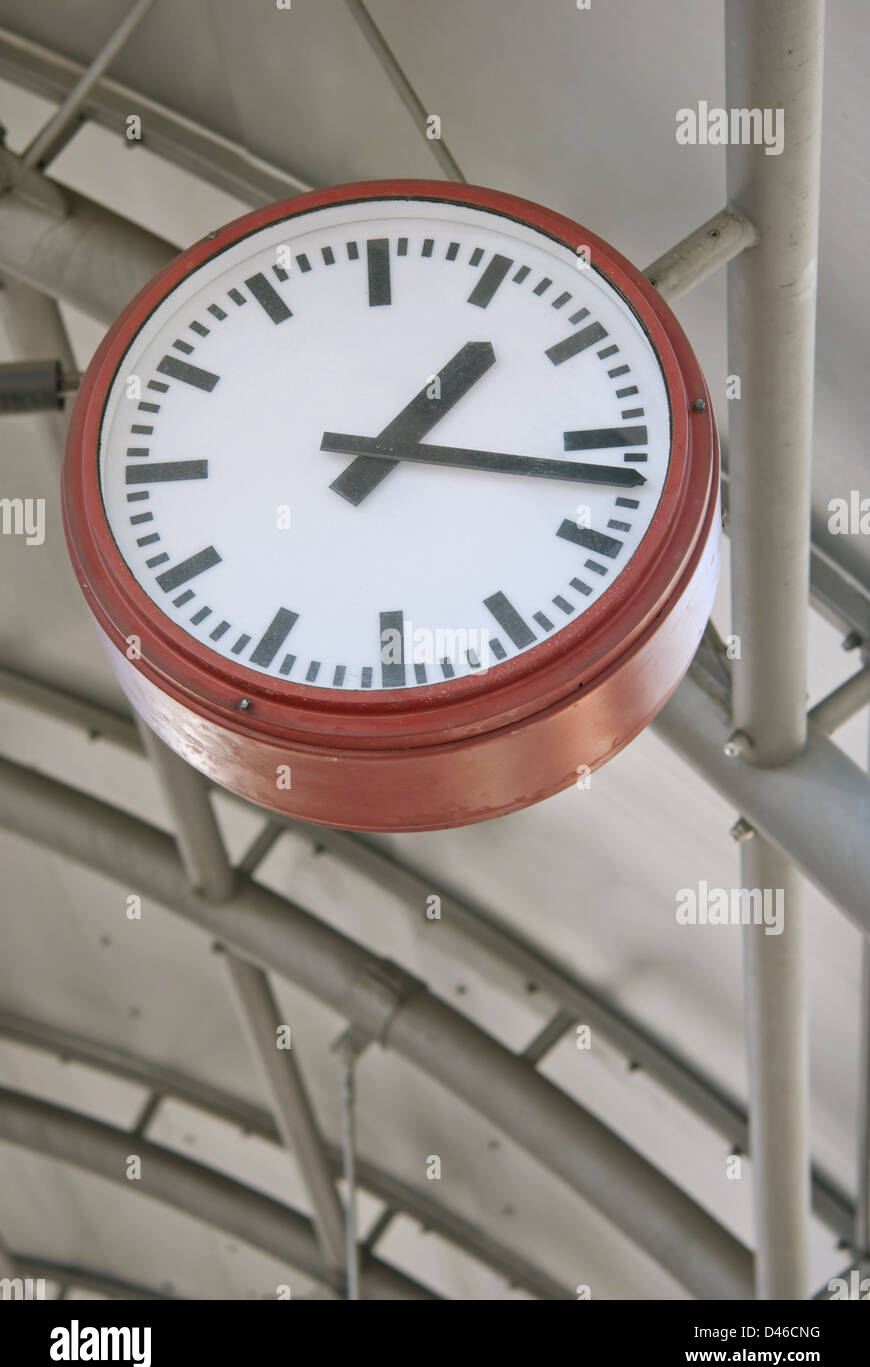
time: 1:16
